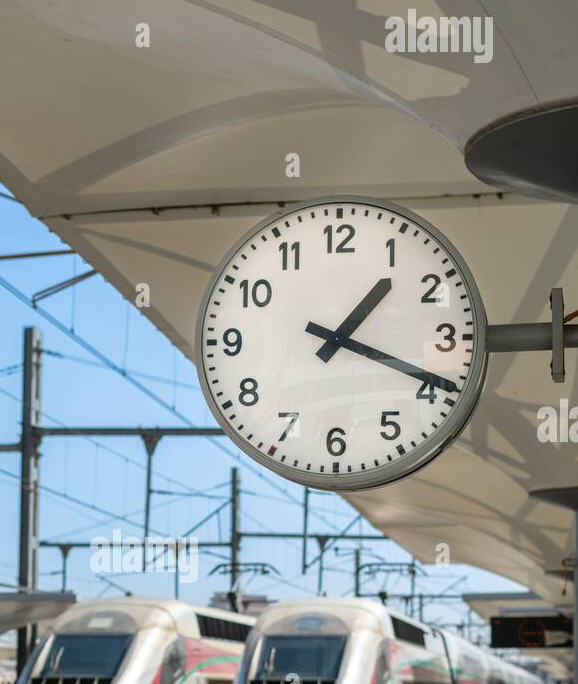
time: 1:18
